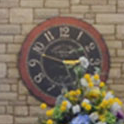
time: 2:48
